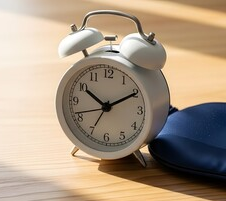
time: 10:10
